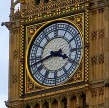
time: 3:42
